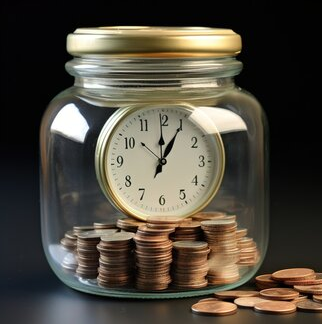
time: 12:59
